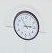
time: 2:54
